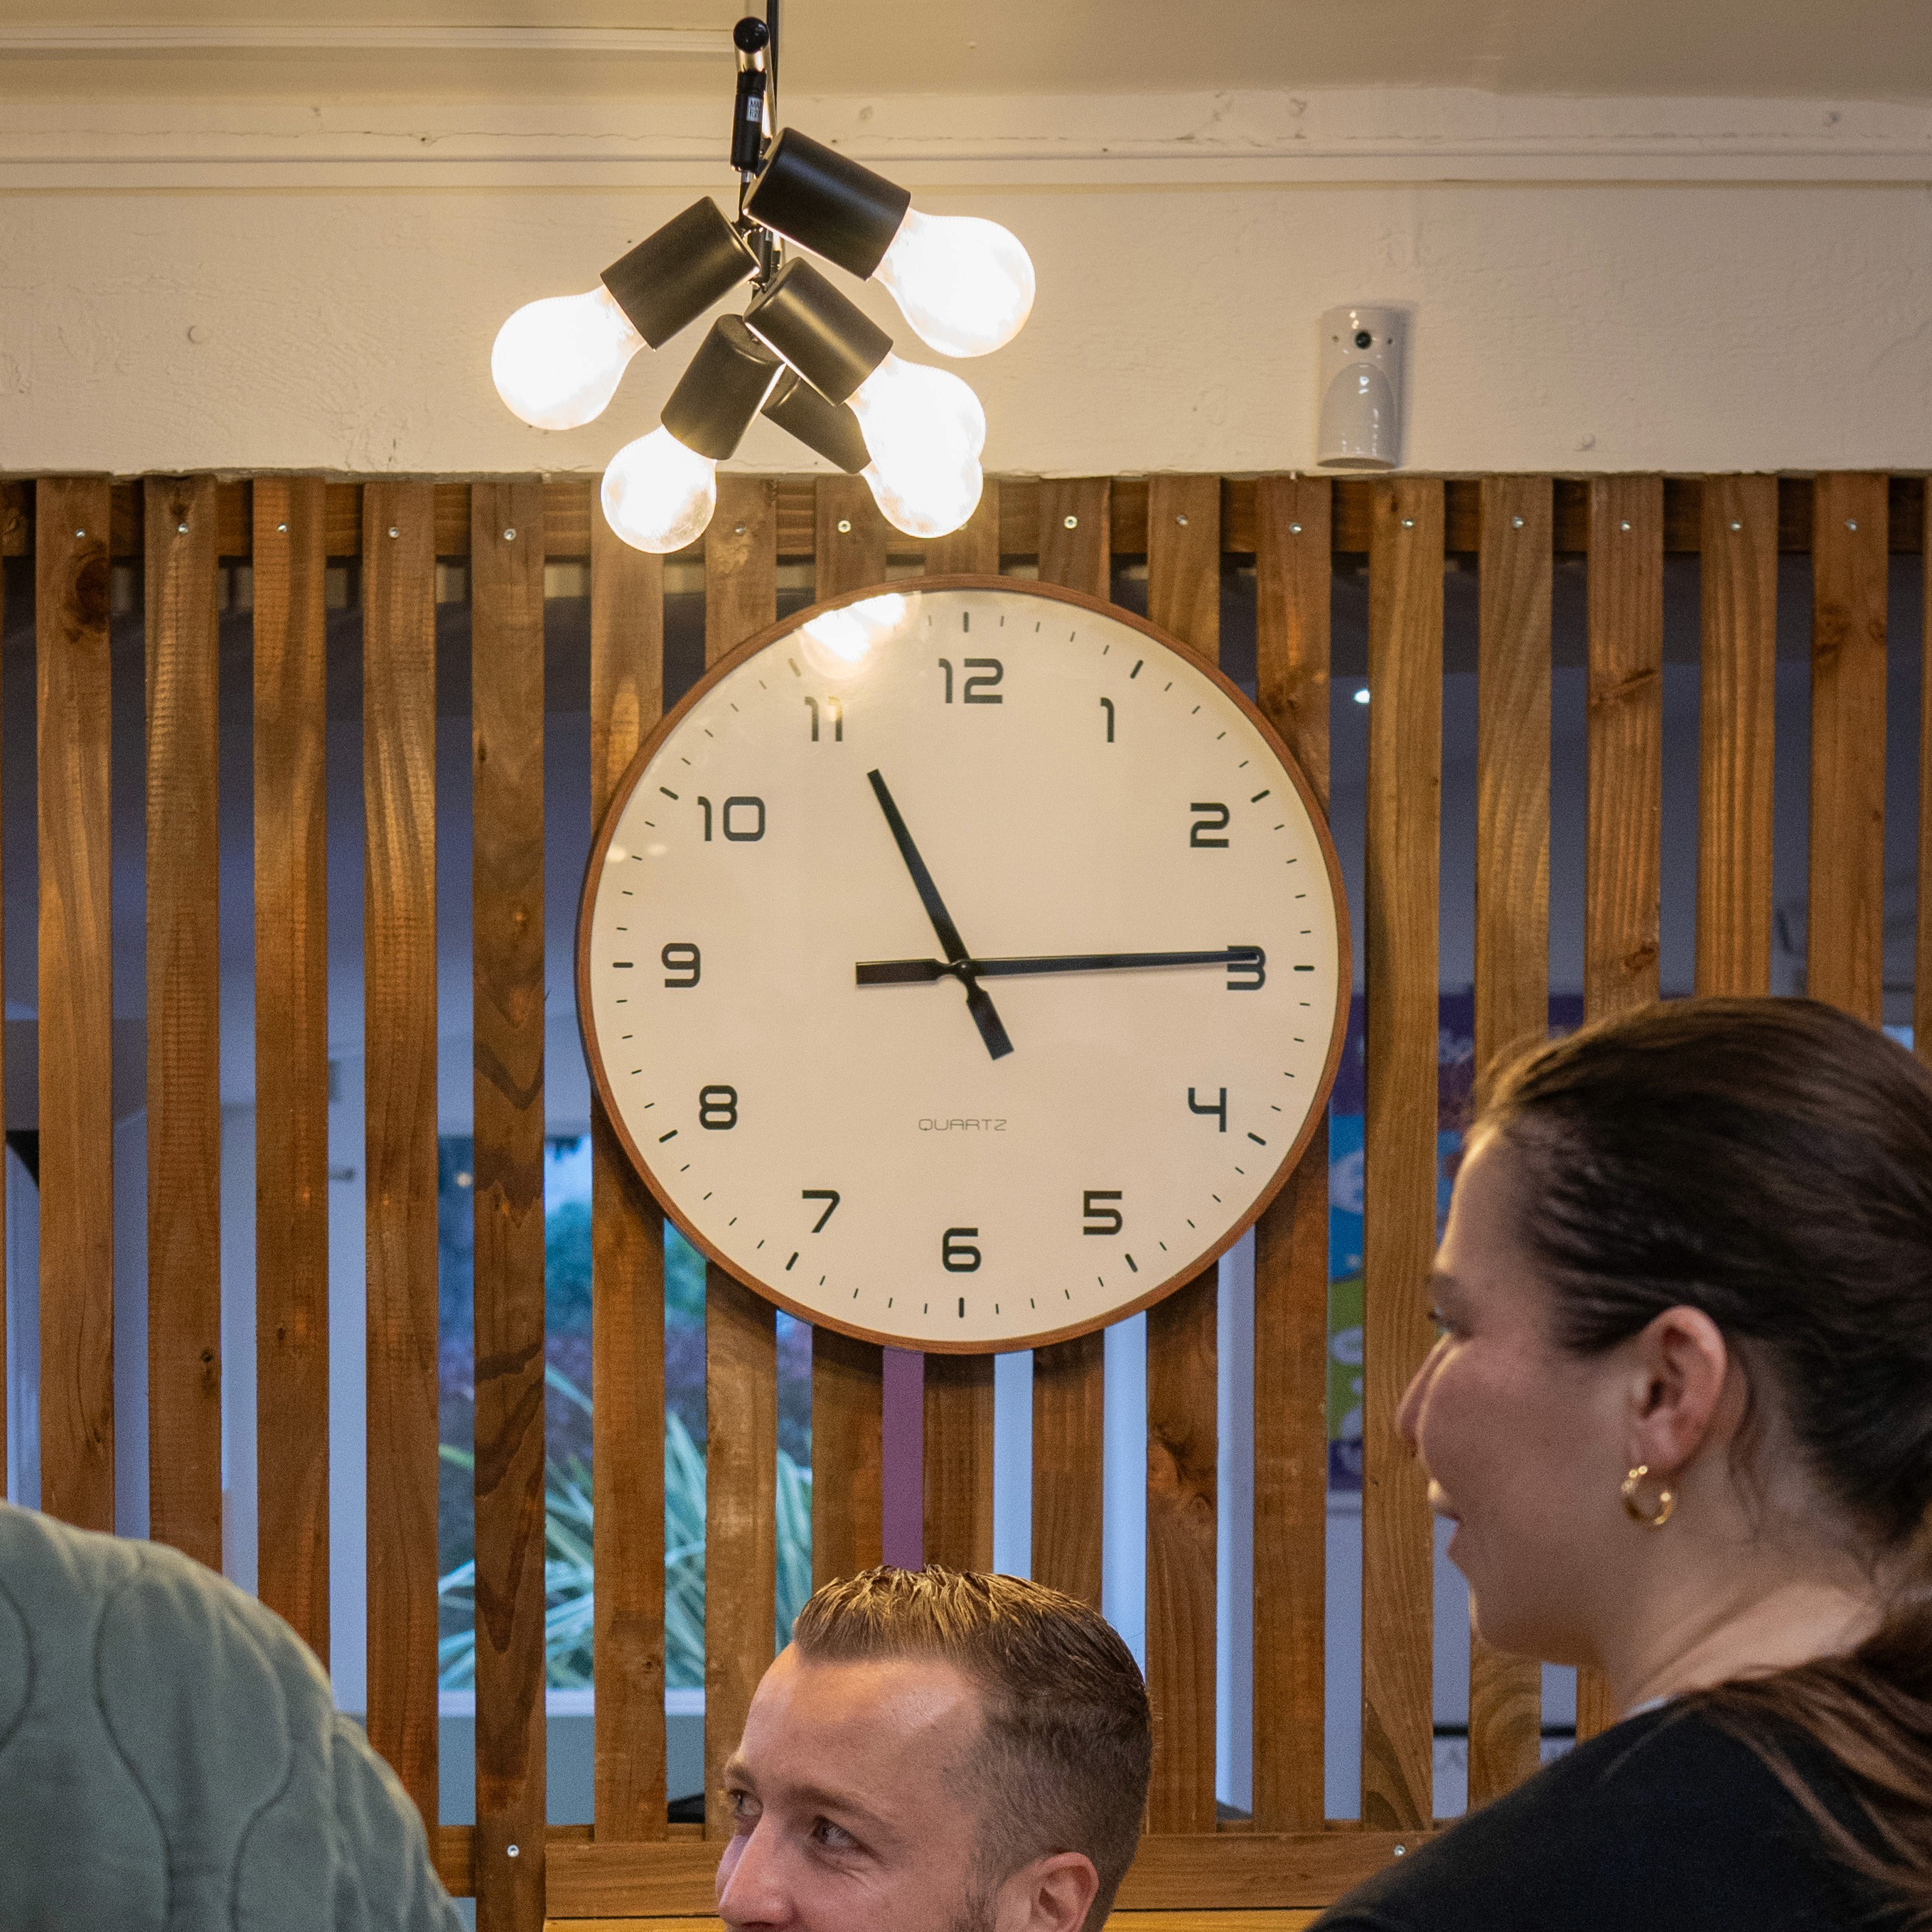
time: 11:14
